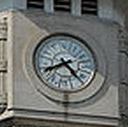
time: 4:40
